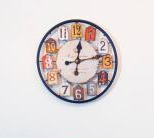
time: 12:13
